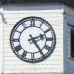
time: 2:24
